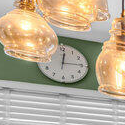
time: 12:14
